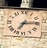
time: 7:14
